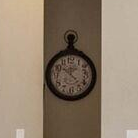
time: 10:22
